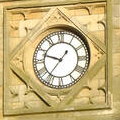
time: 9:36
